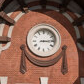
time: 3:13
